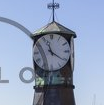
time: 11:20
